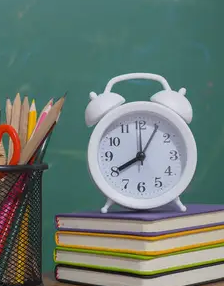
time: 8:05
